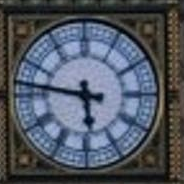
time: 5:46
